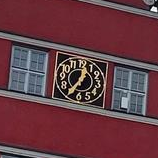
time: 12:35
